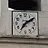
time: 7:09
